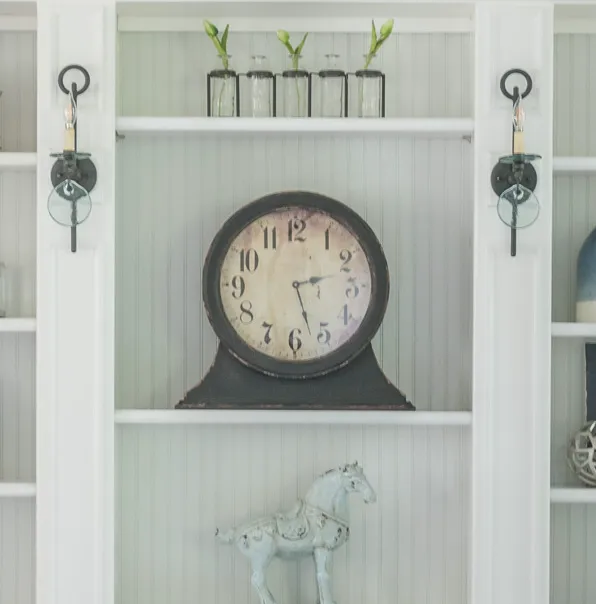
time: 2:27
